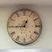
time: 12:44
